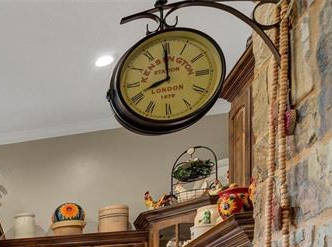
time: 7:59
